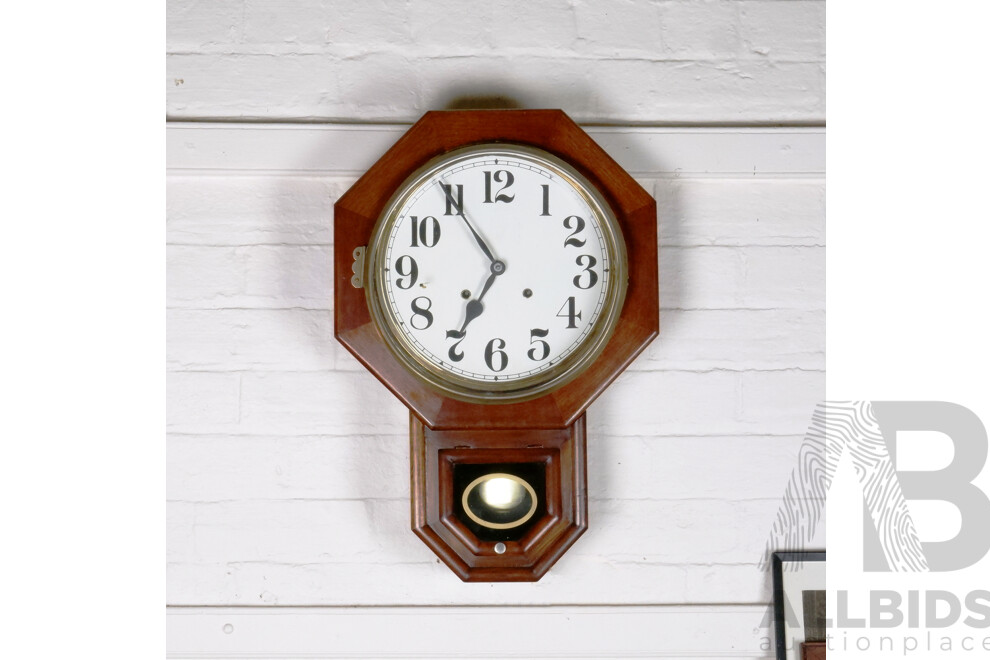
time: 6:54
